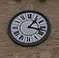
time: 1:17
